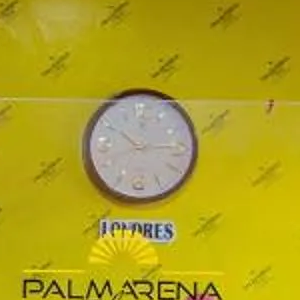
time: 10:14
